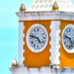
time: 4:47
